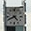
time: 4:40
